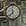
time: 11:37
